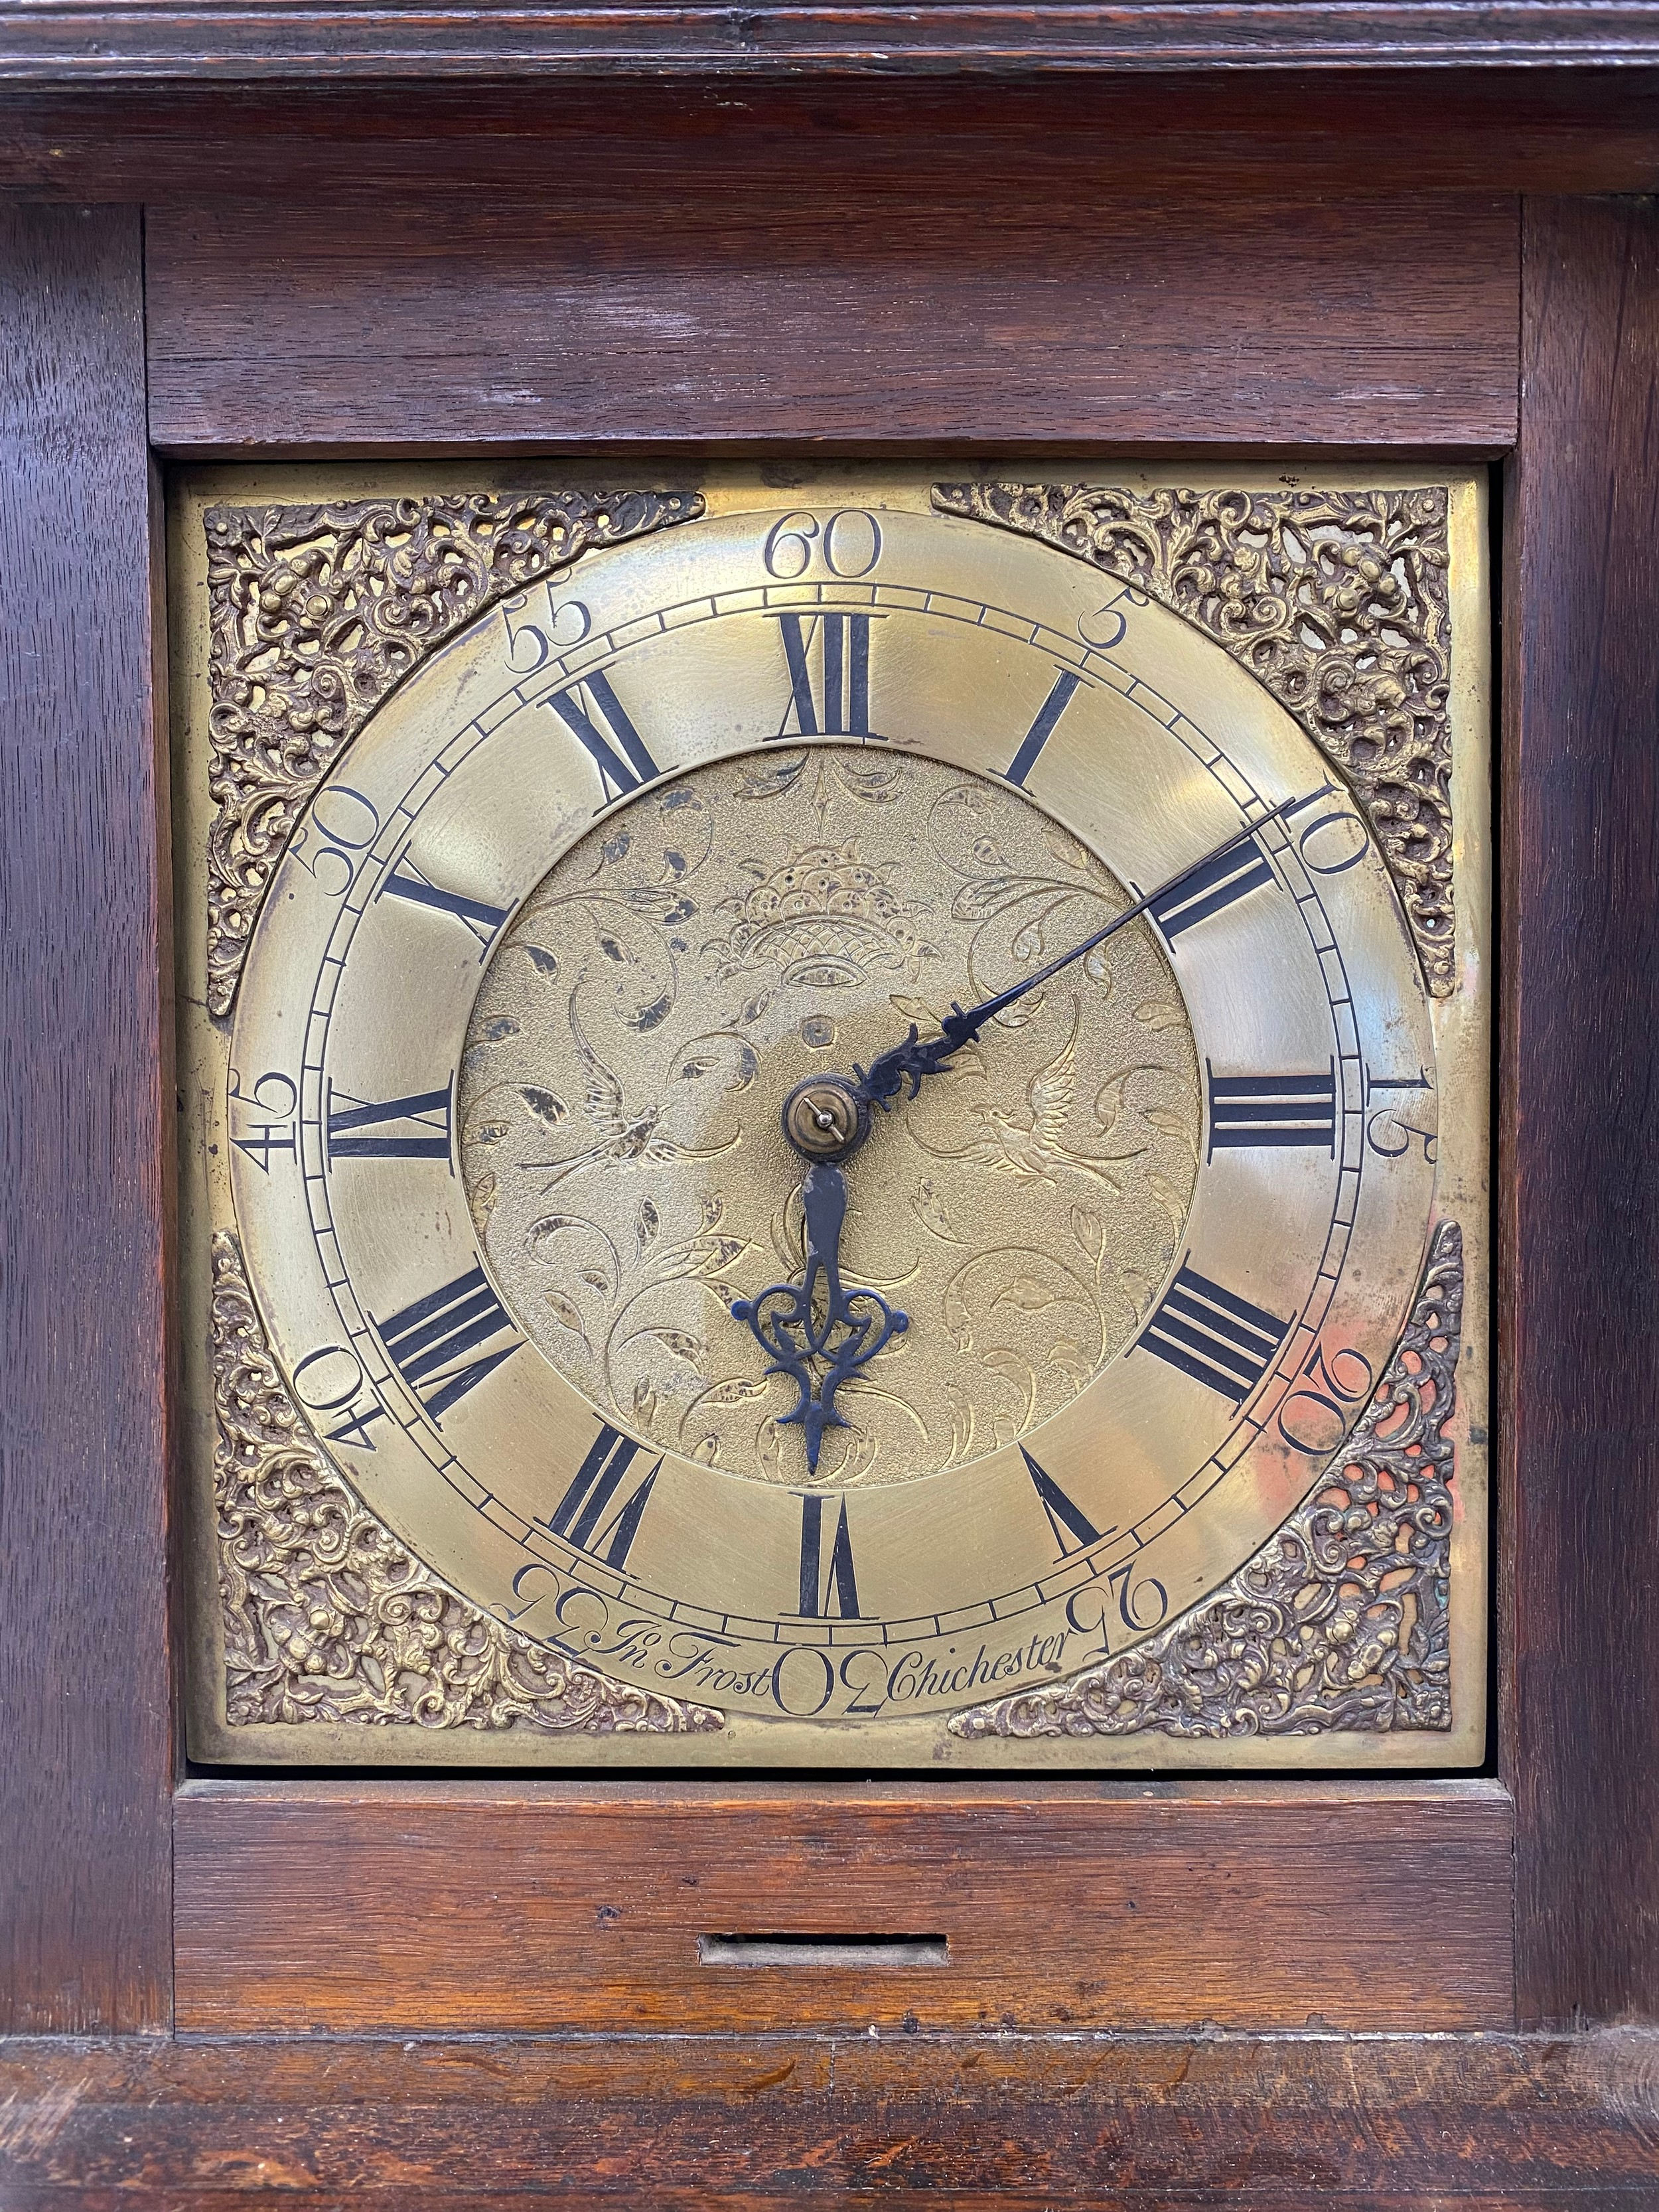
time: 6:09
